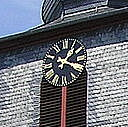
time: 1:18
